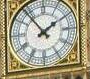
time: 1:53
